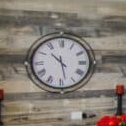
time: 10:28
